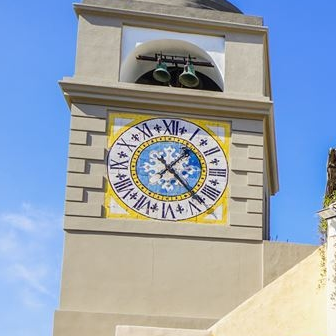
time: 1:22
